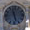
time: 11:27
